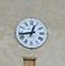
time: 12:43
